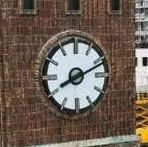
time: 8:11
